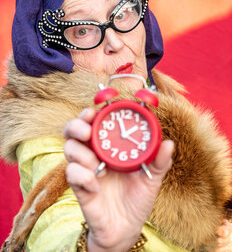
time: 1:56
